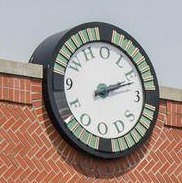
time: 2:11
